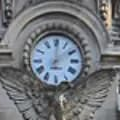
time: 6:00
